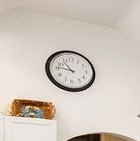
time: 10:46
